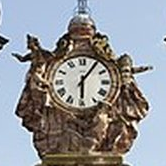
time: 6:05
